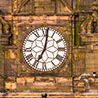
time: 7:01
